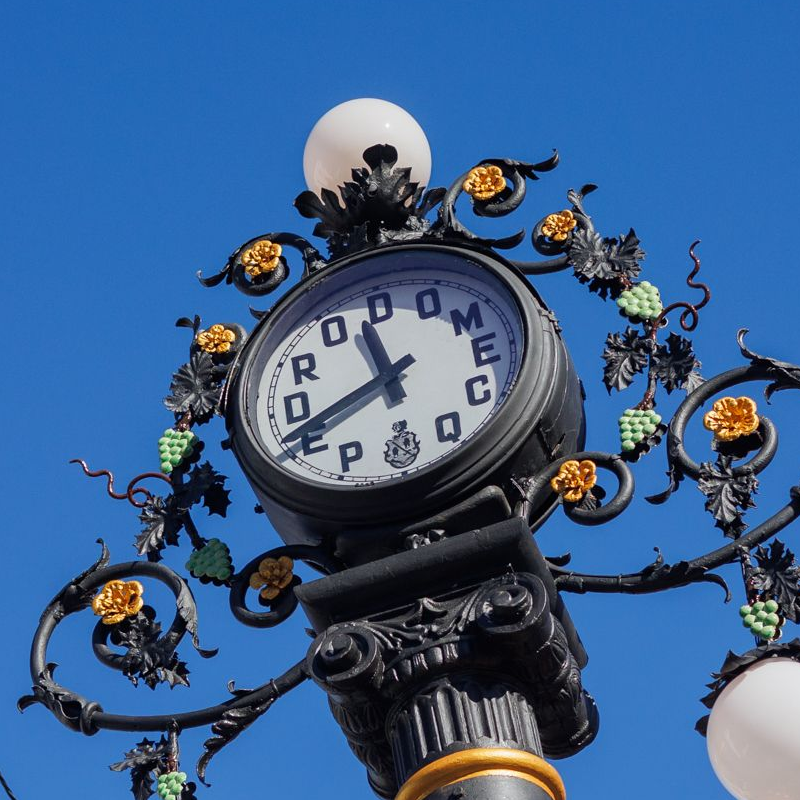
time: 11:41
